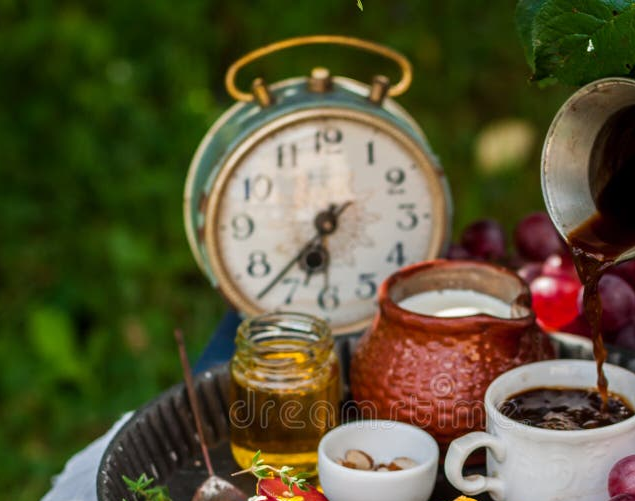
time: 6:36
